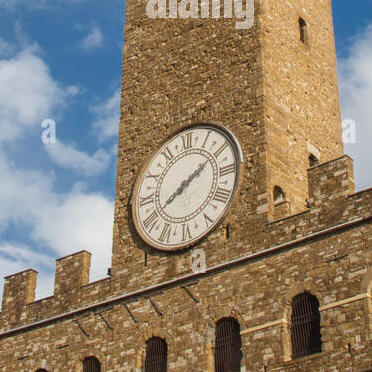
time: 8:10
